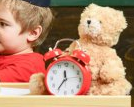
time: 11:35
